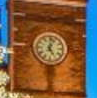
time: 5:02
